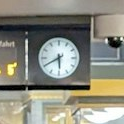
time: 5:40
